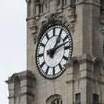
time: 1:12
